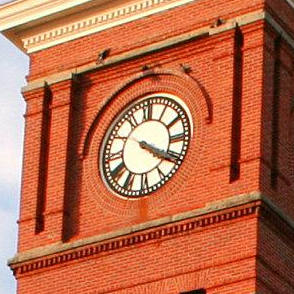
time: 4:19
